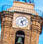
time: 5:08
